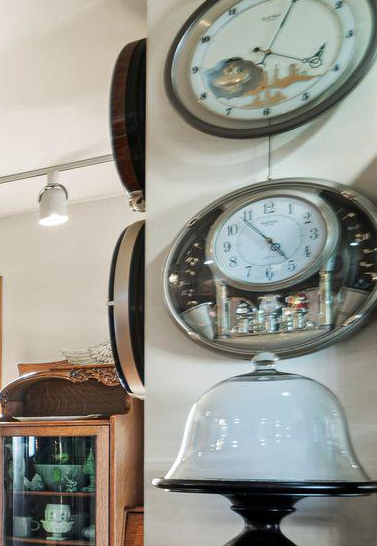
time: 4:54
